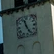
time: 11:24
